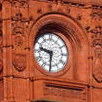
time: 9:30
